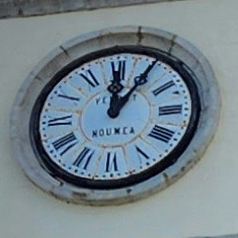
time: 12:05
